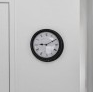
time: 9:10
